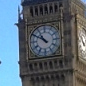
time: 10:50
